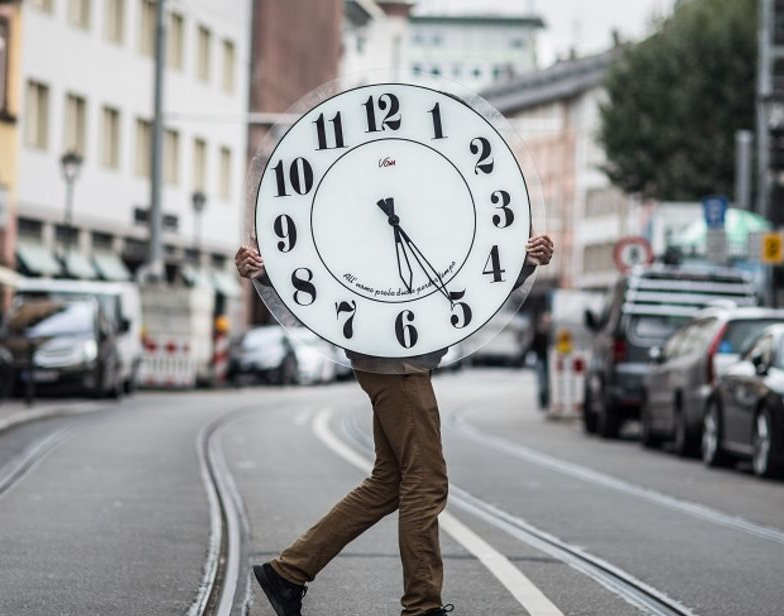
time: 5:24
